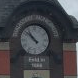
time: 10:52
